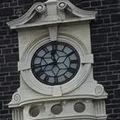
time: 11:42
